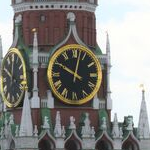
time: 10:02
